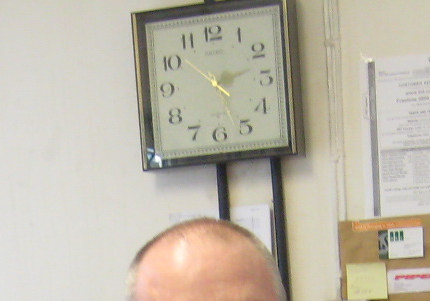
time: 2:26
